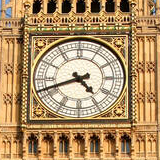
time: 4:41
